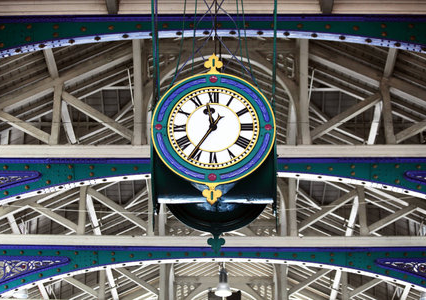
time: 11:35
